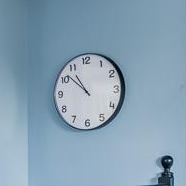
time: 10:51
